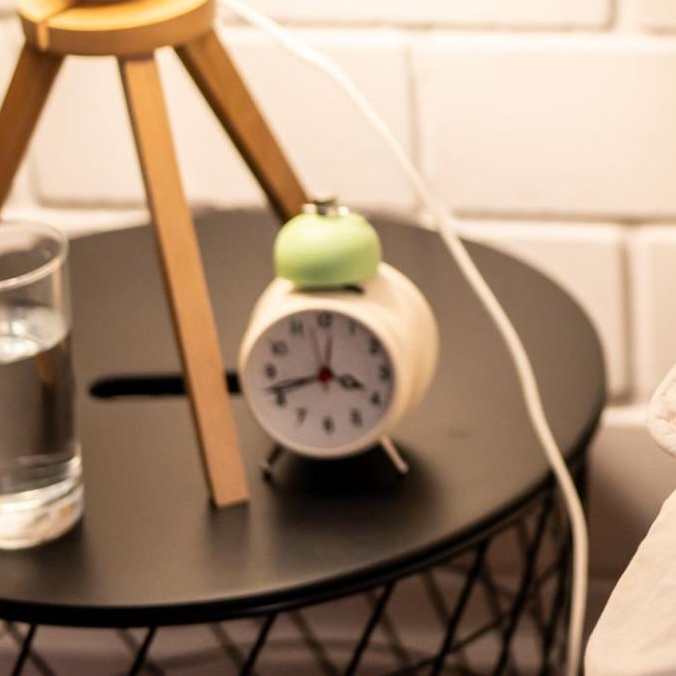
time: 3:42
